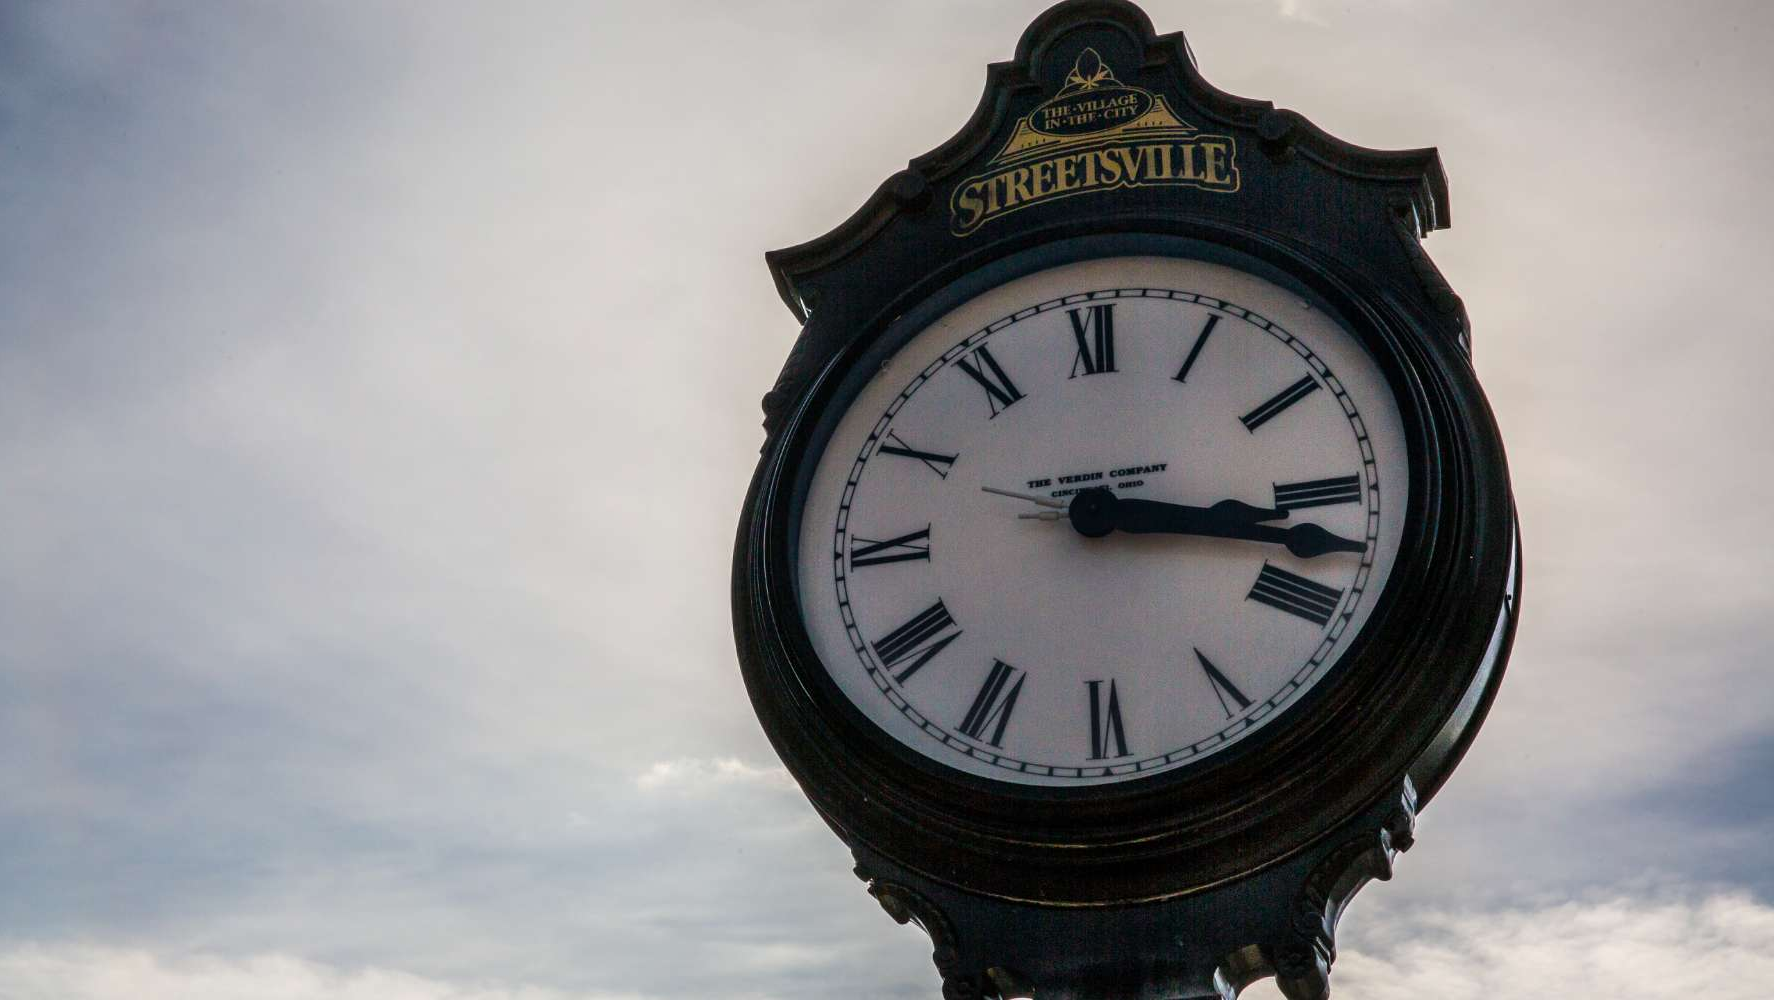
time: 3:17
